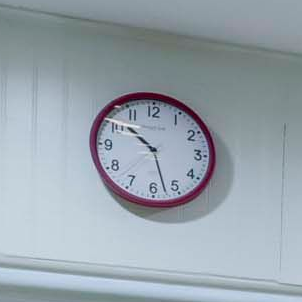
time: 10:27
